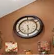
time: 5:29
